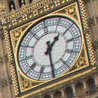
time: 1:30
